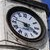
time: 3:47
